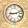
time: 9:12
